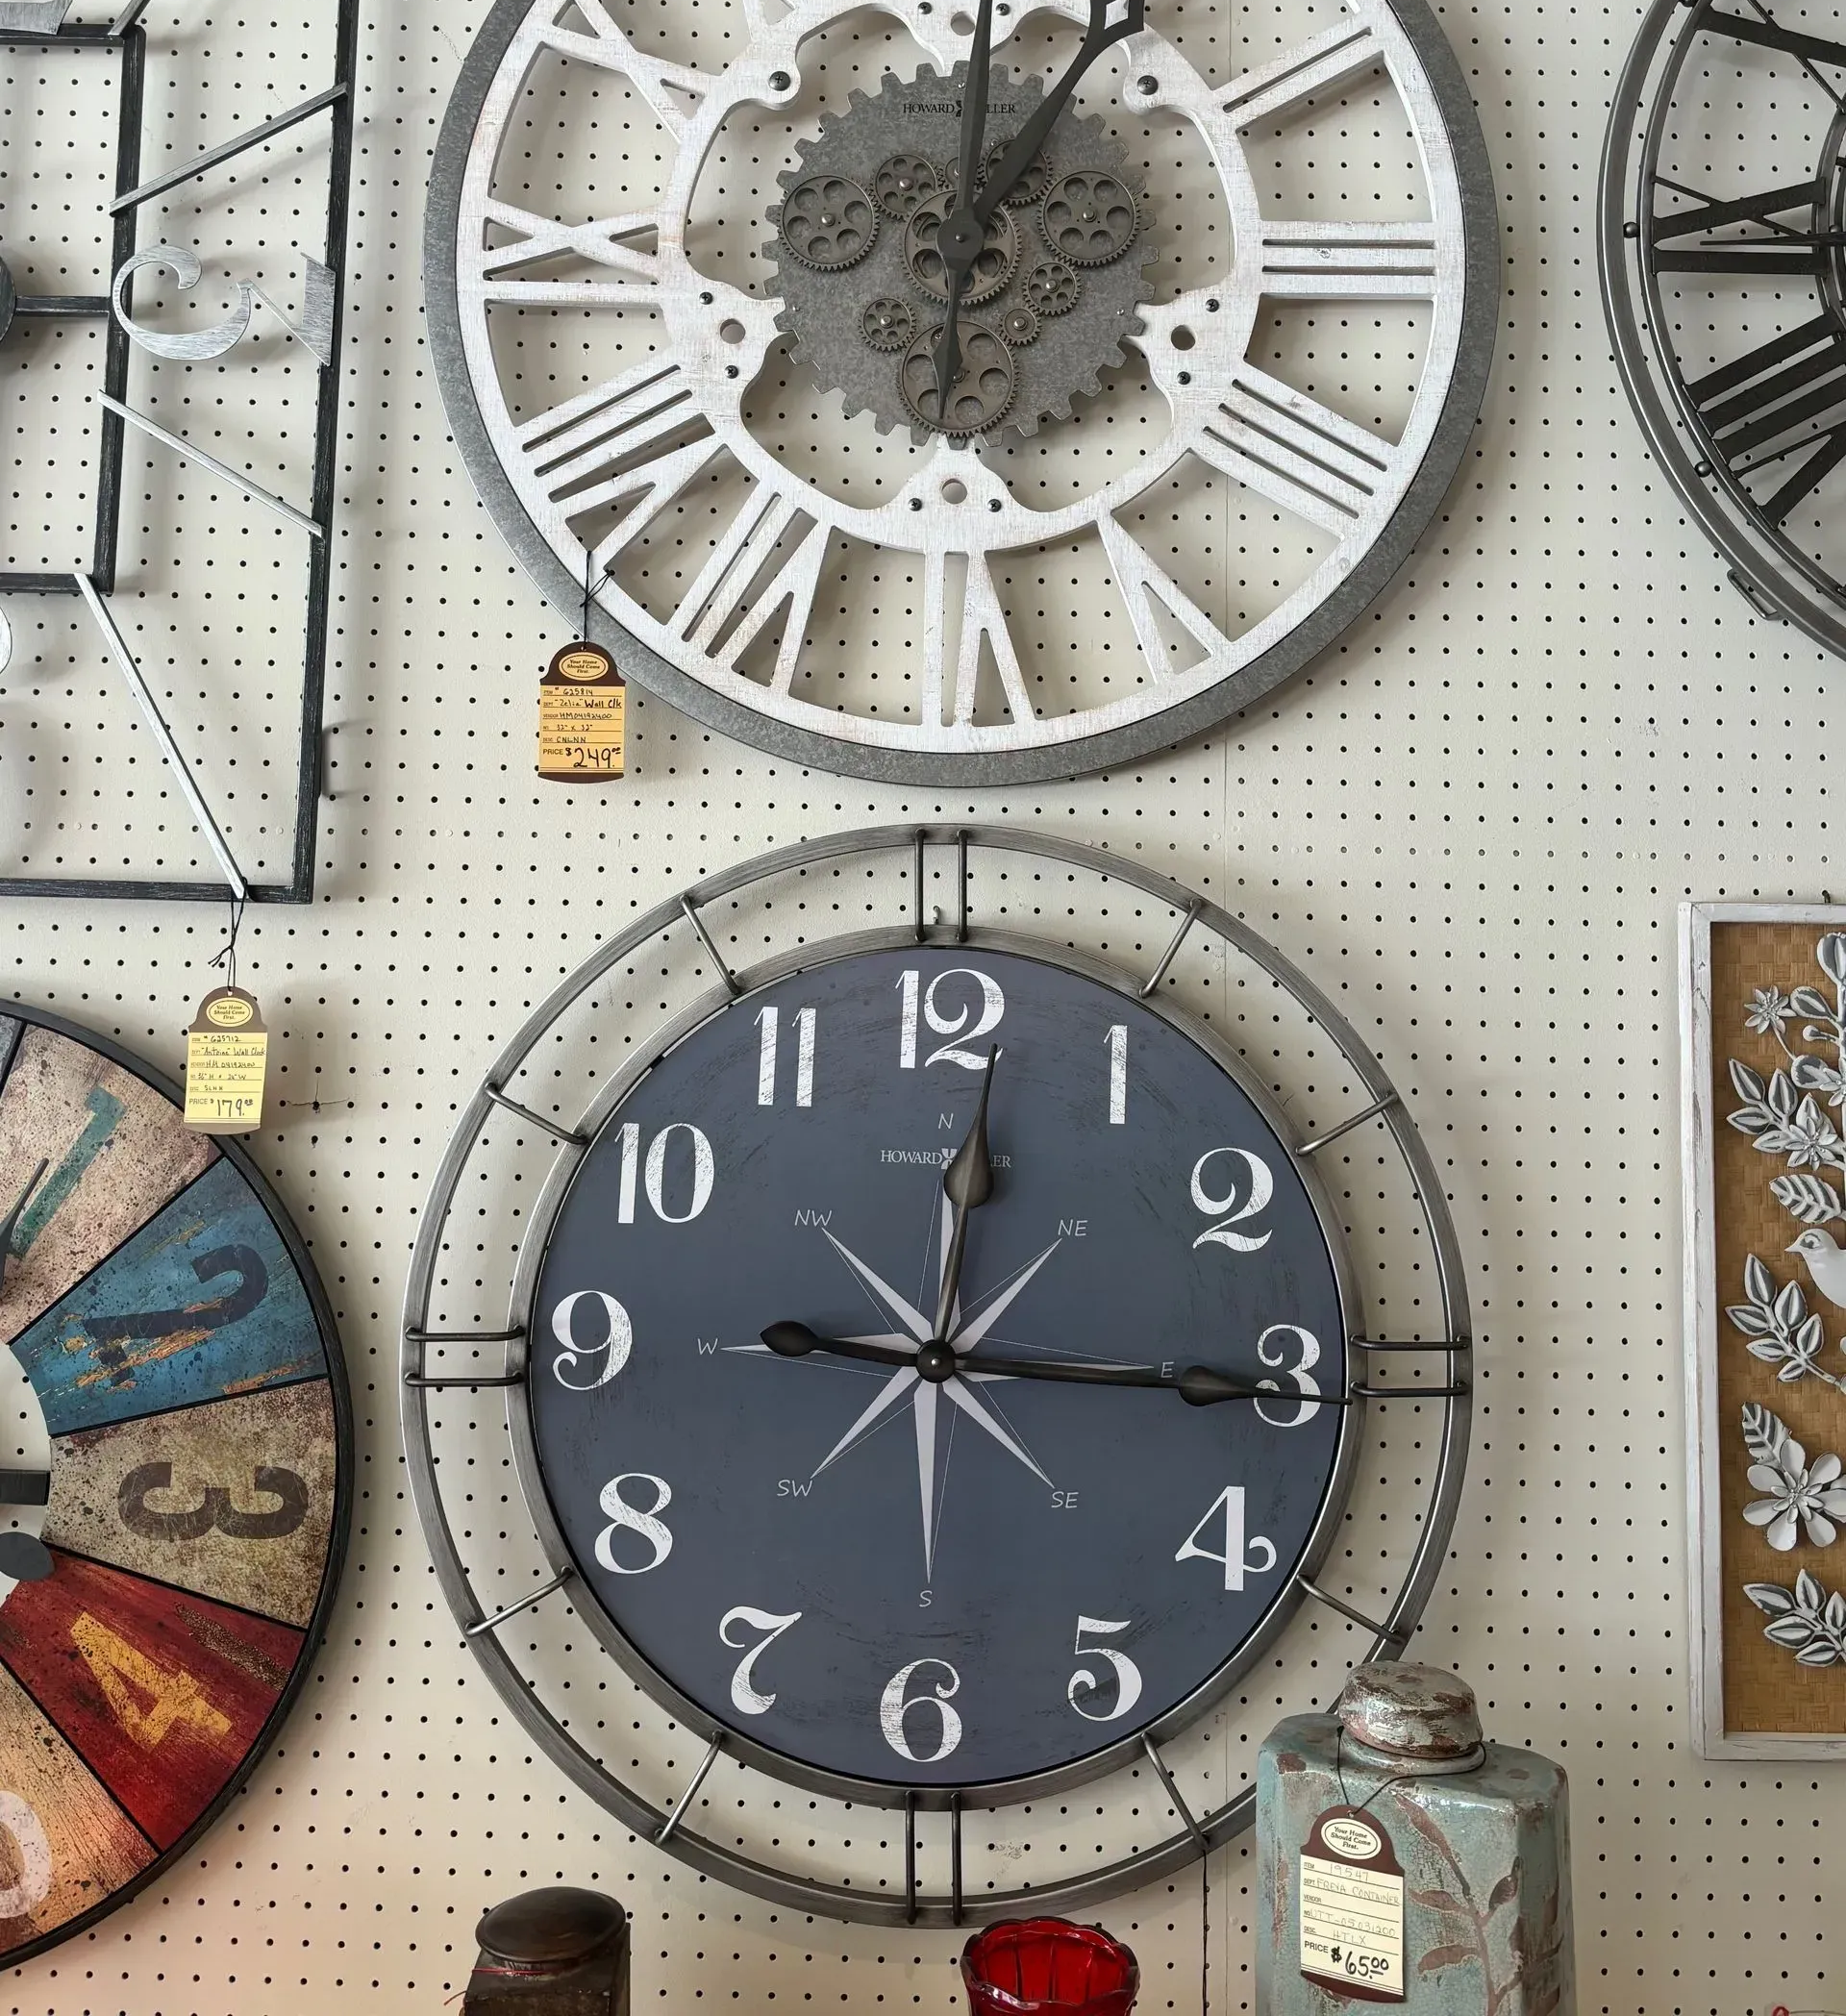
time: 9:15
